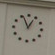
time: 12:56
